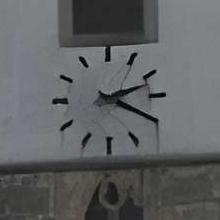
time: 2:19
